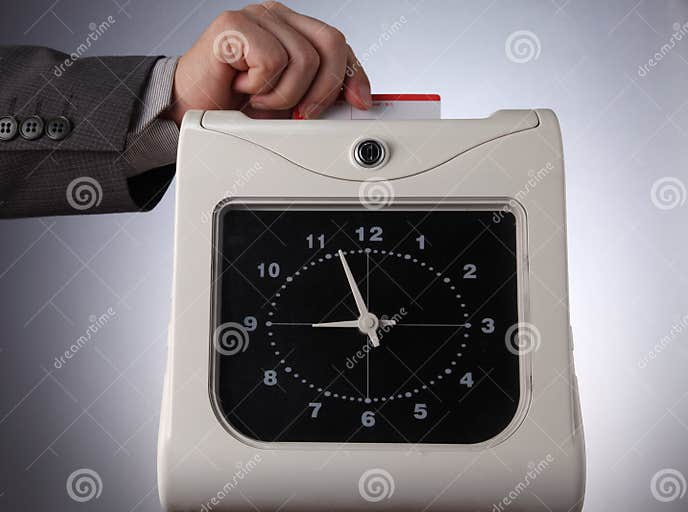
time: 8:57
